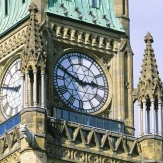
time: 2:48
